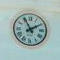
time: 1:55
